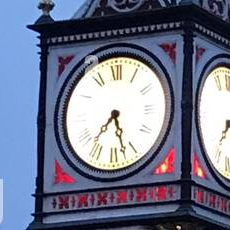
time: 7:27
